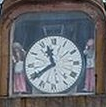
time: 11:39
